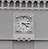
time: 4:14
